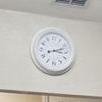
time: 3:12
